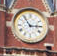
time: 2:54
